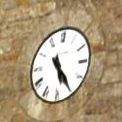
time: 5:24
